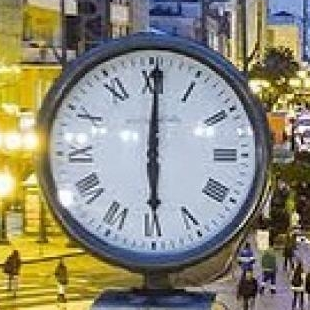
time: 6:00
